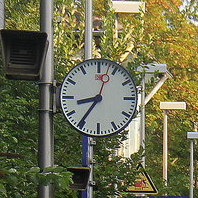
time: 8:36
